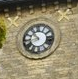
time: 10:42
